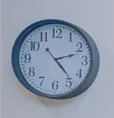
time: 2:23
